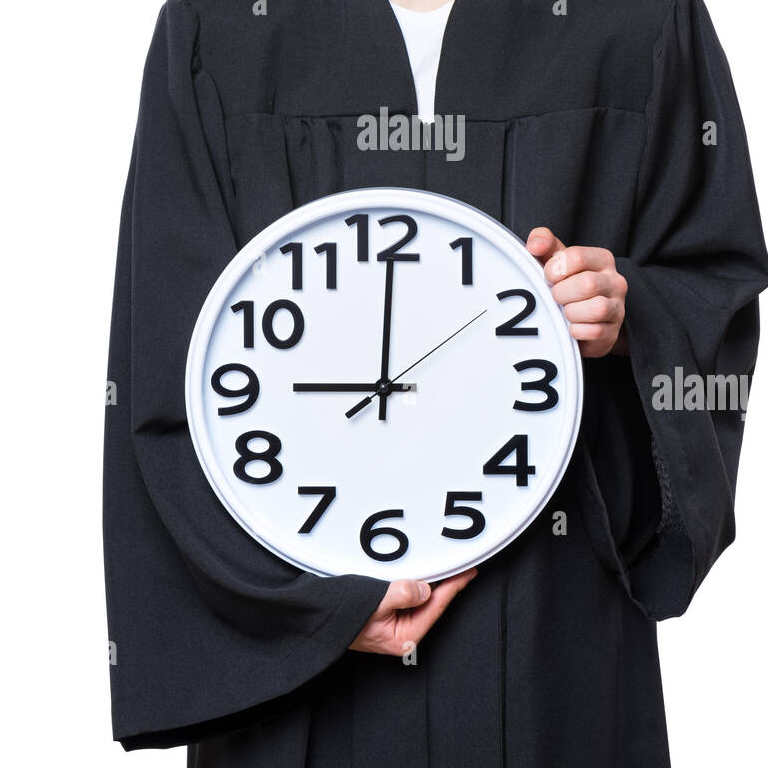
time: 9:00
